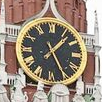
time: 1:25
